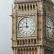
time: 11:44
